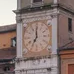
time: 6:59
